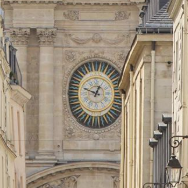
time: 12:48
